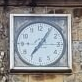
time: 7:05
